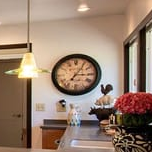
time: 3:05
